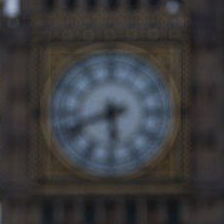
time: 5:41
